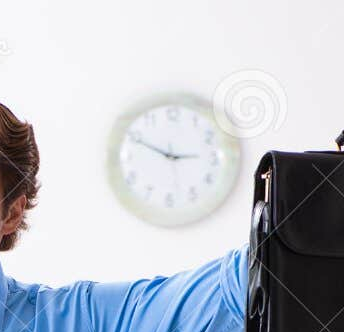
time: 2:49
